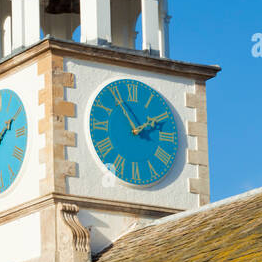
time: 1:54
